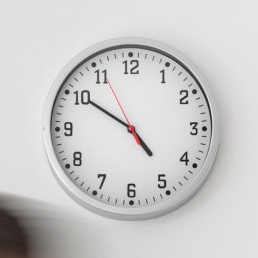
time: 4:50
